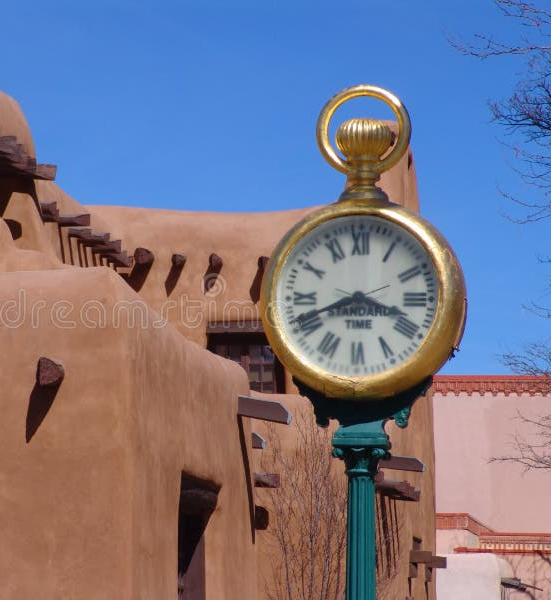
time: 3:41
